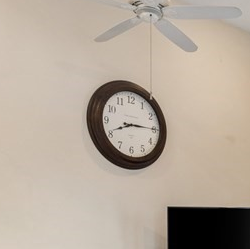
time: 8:14
